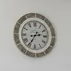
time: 2:35
